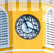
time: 11:18
